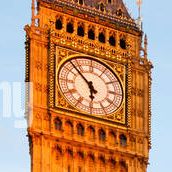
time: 5:52
